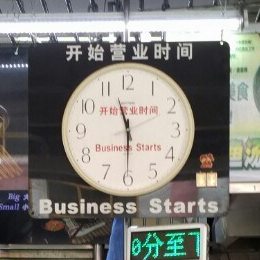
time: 11:30
